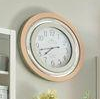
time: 7:42
